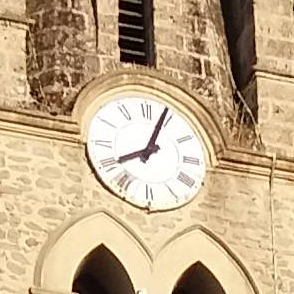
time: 8:03
